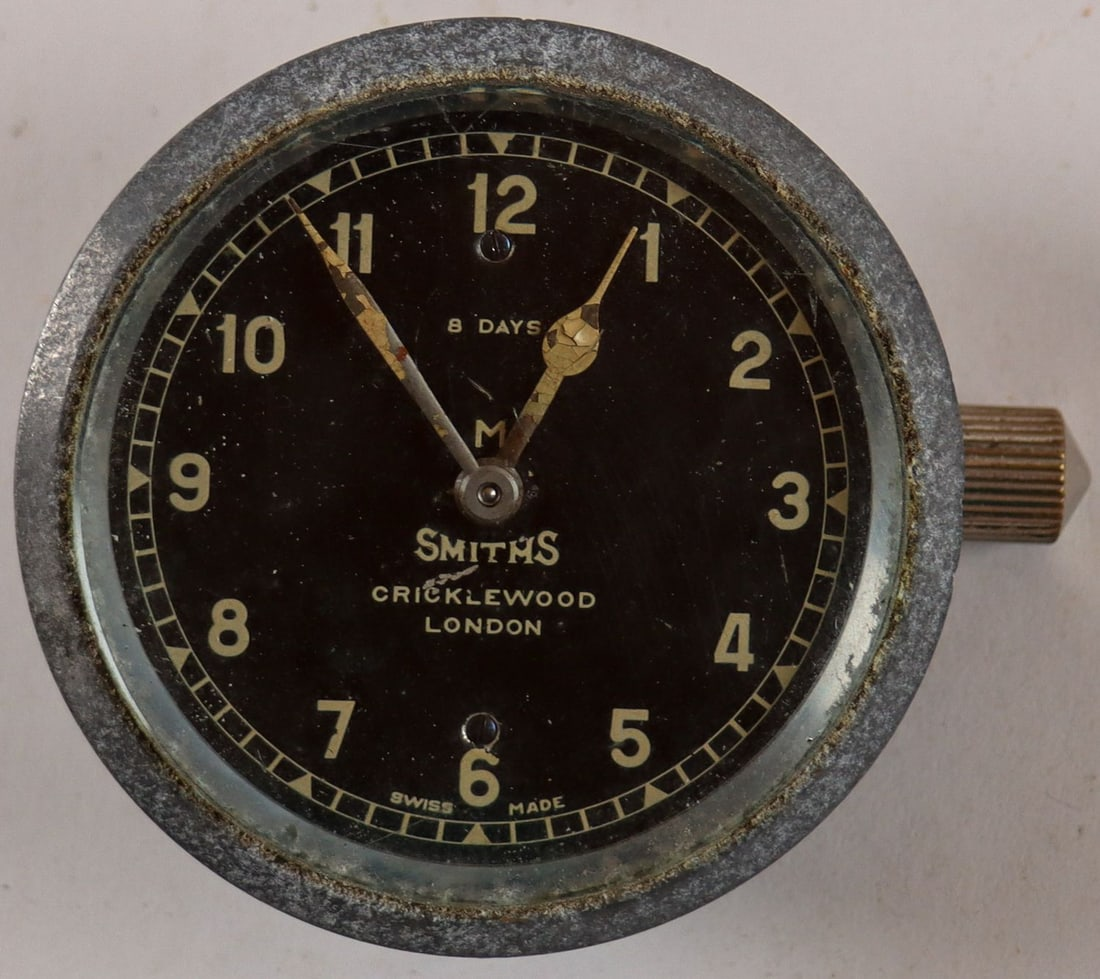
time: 12:54
